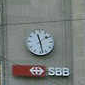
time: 11:28
